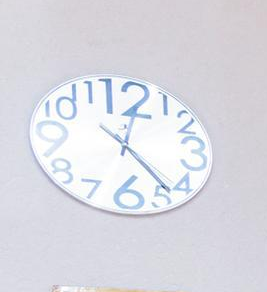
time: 12:23
